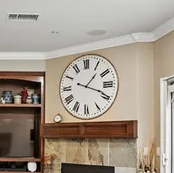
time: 1:18
